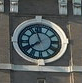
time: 7:57
